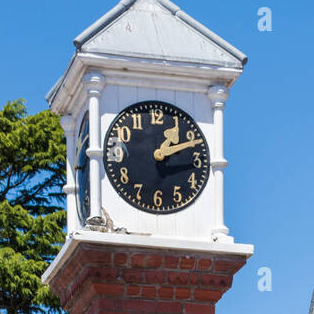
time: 1:11
